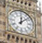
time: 12:07
